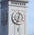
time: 12:32
